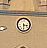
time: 3:29
